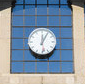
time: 12:04
